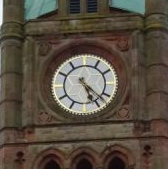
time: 5:22
